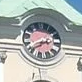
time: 2:40
